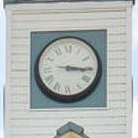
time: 3:15
